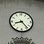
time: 8:23
